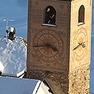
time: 3:43
